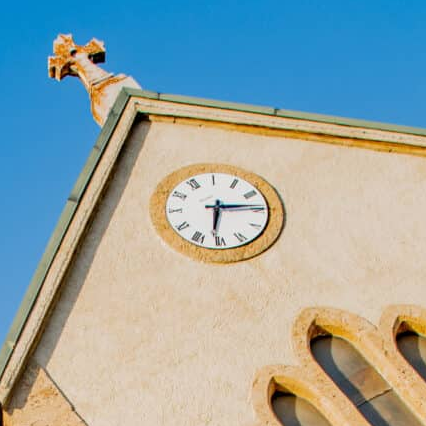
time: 6:14
